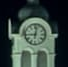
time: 9:01
